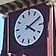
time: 4:10
